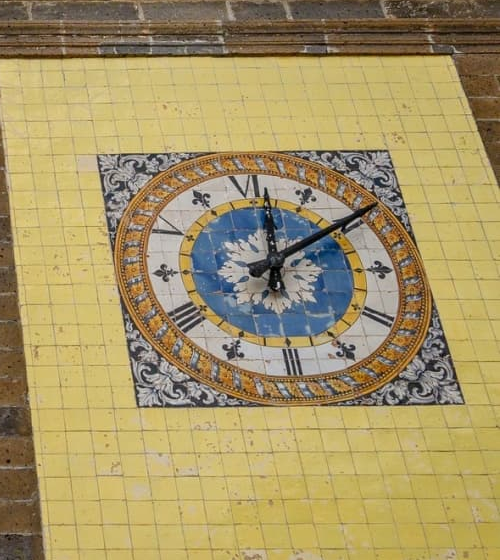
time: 12:09
